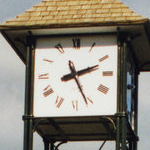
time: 2:26
